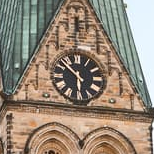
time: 5:51
